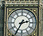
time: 2:35
